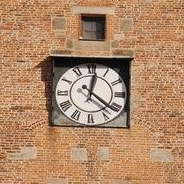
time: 12:21
